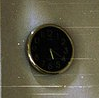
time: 5:20
